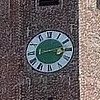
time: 3:12
